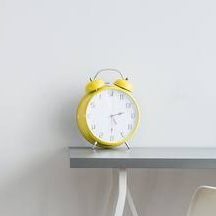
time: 2:30
